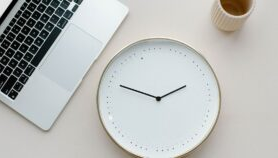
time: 1:47
